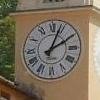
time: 2:03
